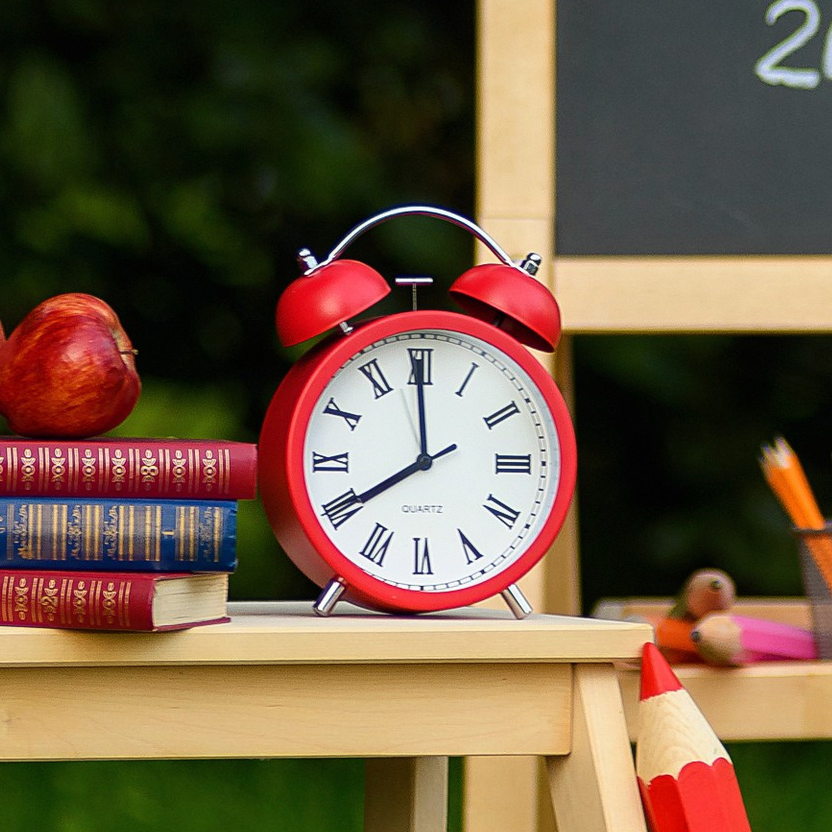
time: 7:59
